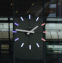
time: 1:46
